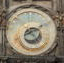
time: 8:11
